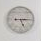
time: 5:14
